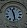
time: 11:28
